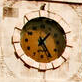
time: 1:24
